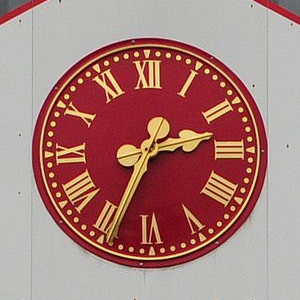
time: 2:34
